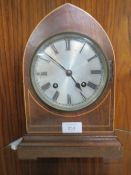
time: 4:52
